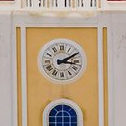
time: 3:09
